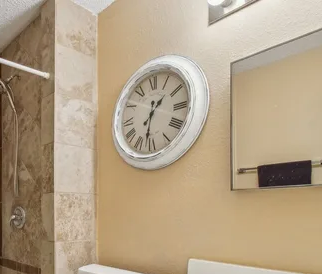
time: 1:32
